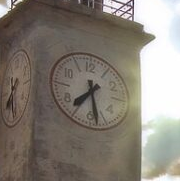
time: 7:28
